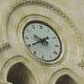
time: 9:40
